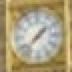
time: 1:37
